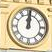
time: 12:01
